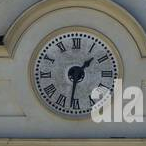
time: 1:31
